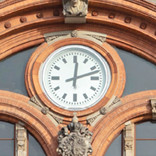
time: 12:12
